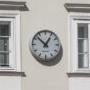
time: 12:52
